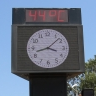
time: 3:42
